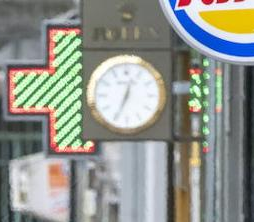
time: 12:34
